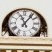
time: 11:06
